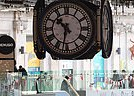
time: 10:31
